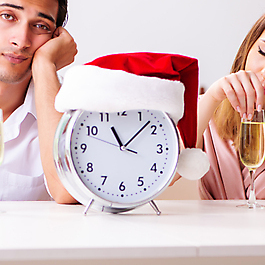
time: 11:07
